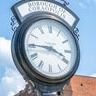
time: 3:45
